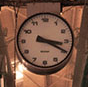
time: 3:19
